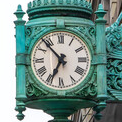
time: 6:53
